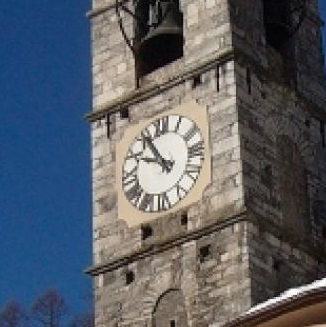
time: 9:54
